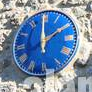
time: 1:59
